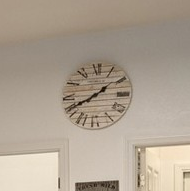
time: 1:40
